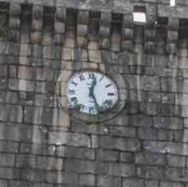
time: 12:26
